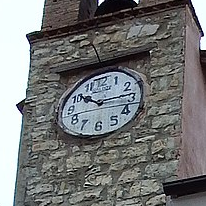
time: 10:13
